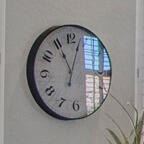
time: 11:03
